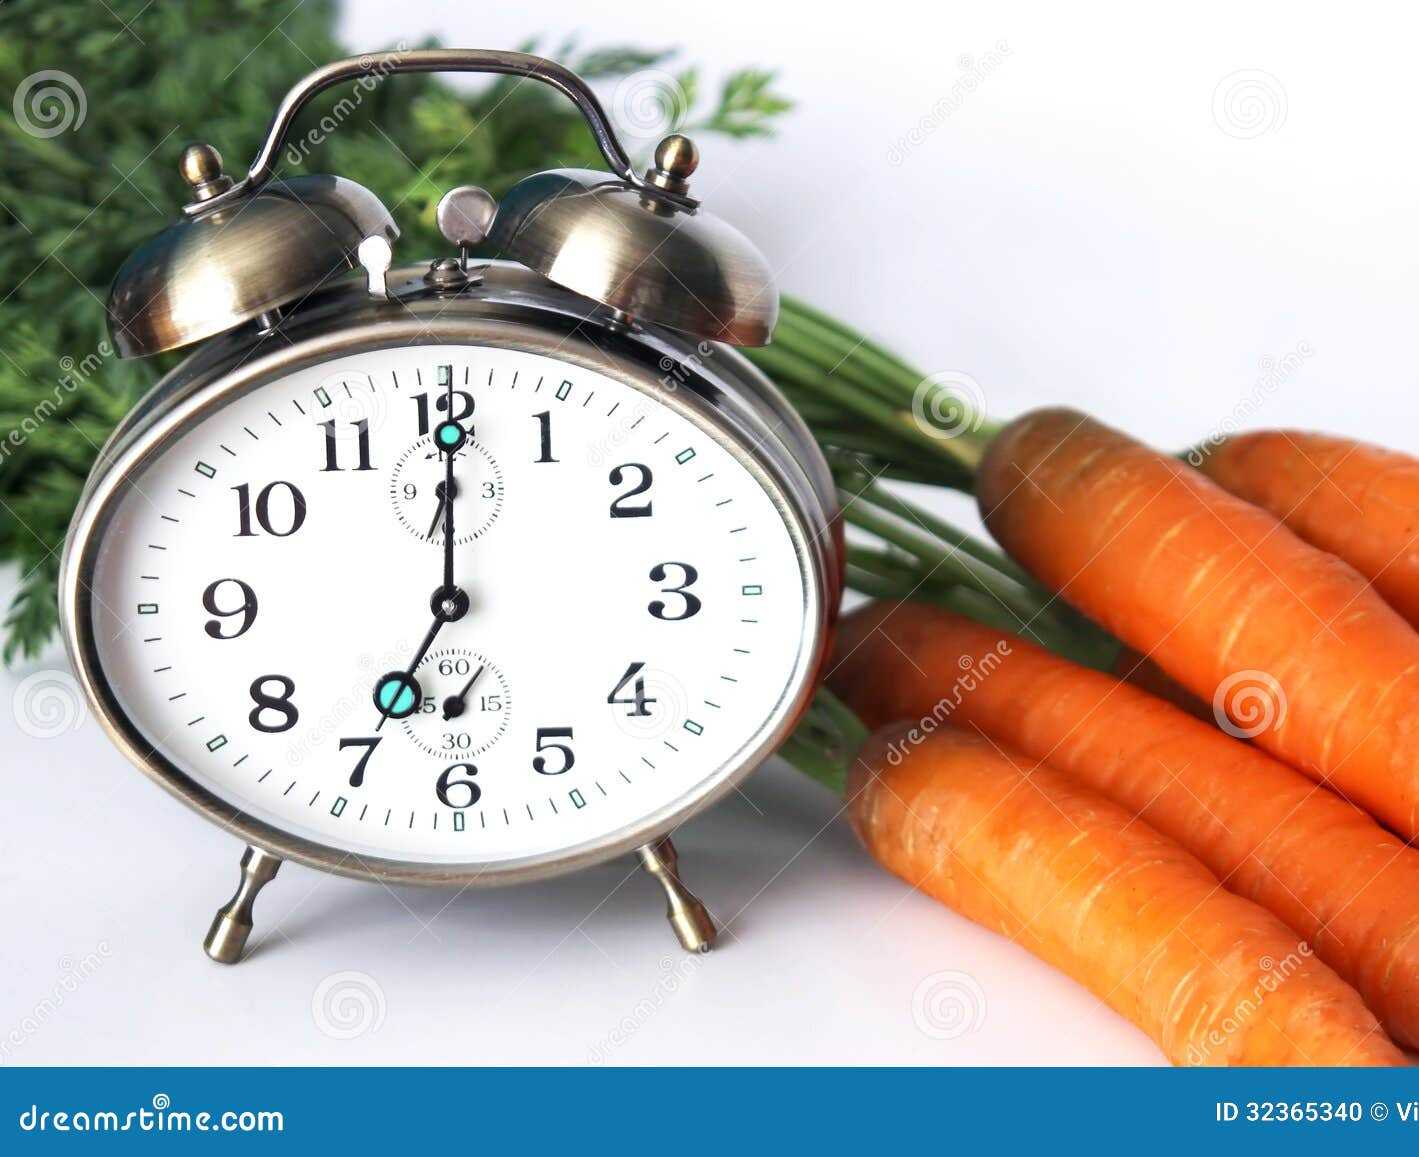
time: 7:00
